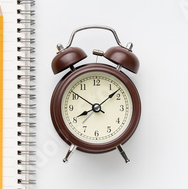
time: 8:08
